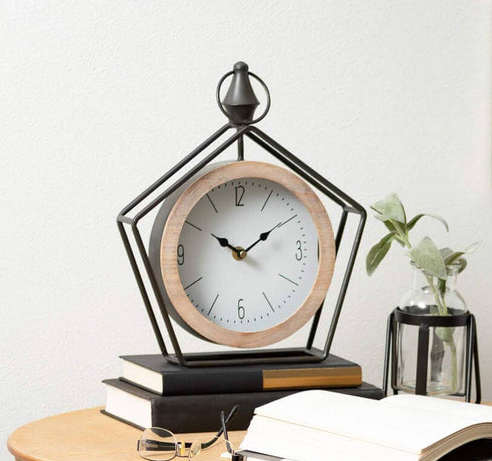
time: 1:50
